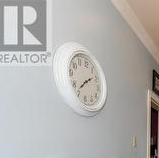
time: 1:36
